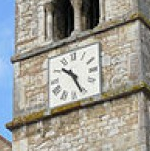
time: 10:26
